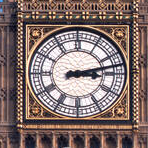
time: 3:12
